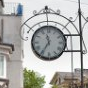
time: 11:35
